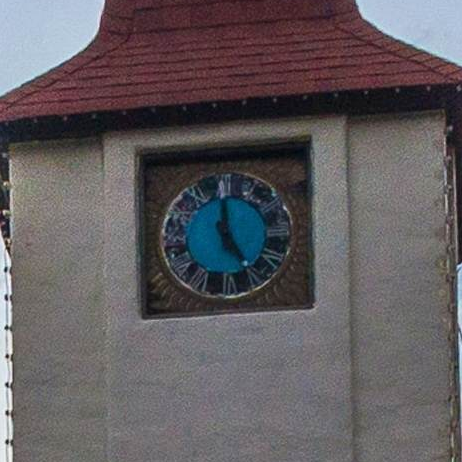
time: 5:00
